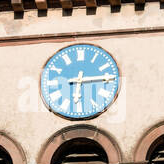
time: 6:14
